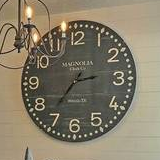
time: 2:36
